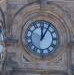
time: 12:05
